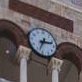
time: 2:33
